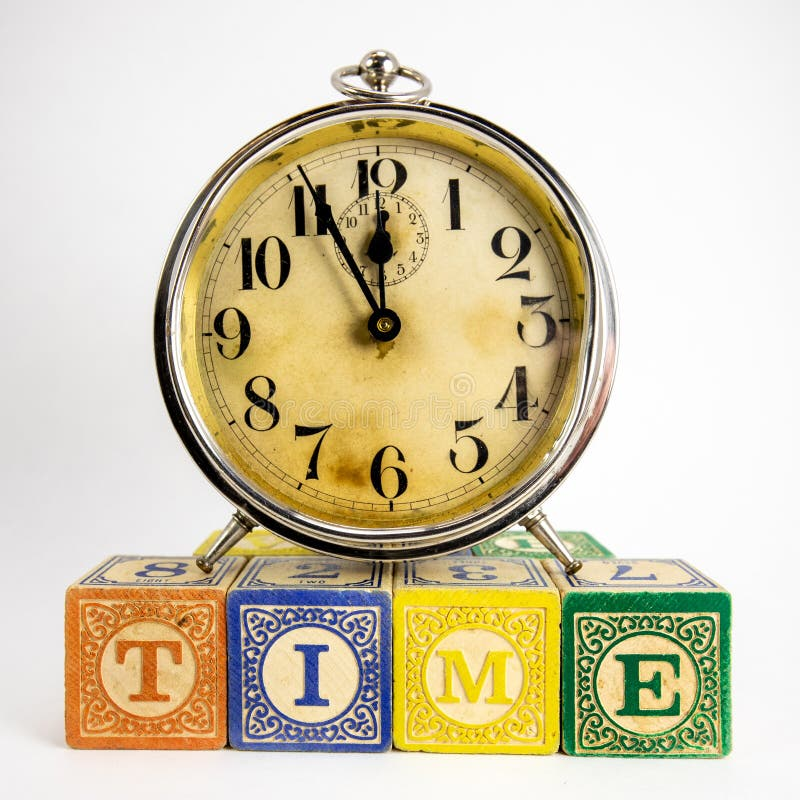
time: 11:55
